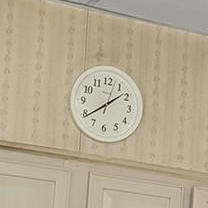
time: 1:39
